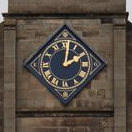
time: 2:01
